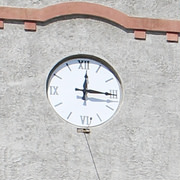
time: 12:15
